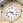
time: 4:45
